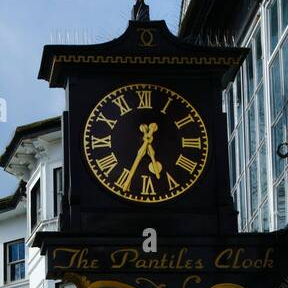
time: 5:34
